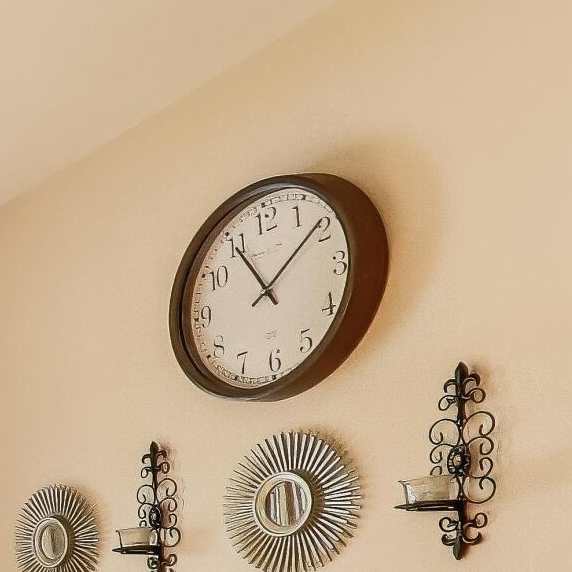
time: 11:08
